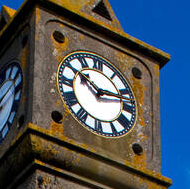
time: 10:12
